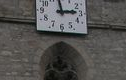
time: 2:58
